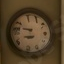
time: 8:47
